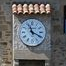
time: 11:19
